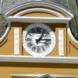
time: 1:14
